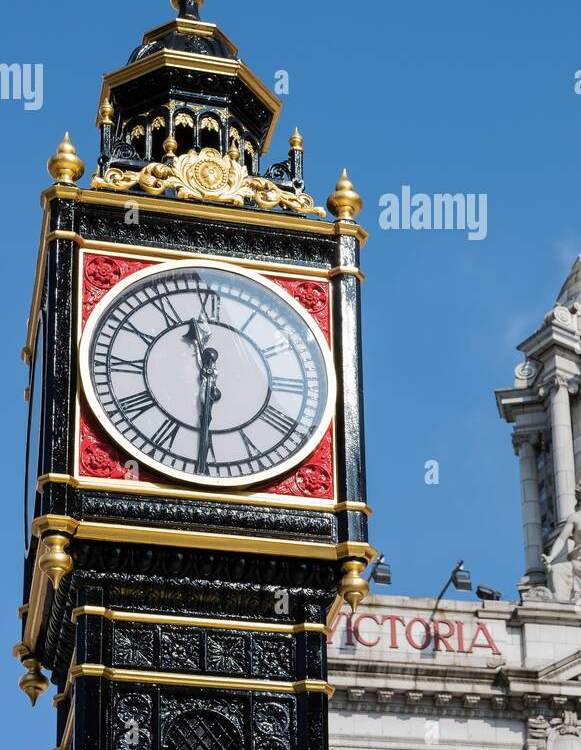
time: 11:30
